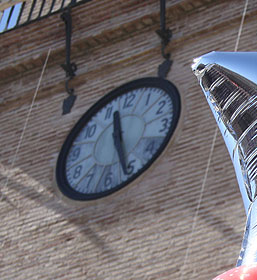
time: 11:26
